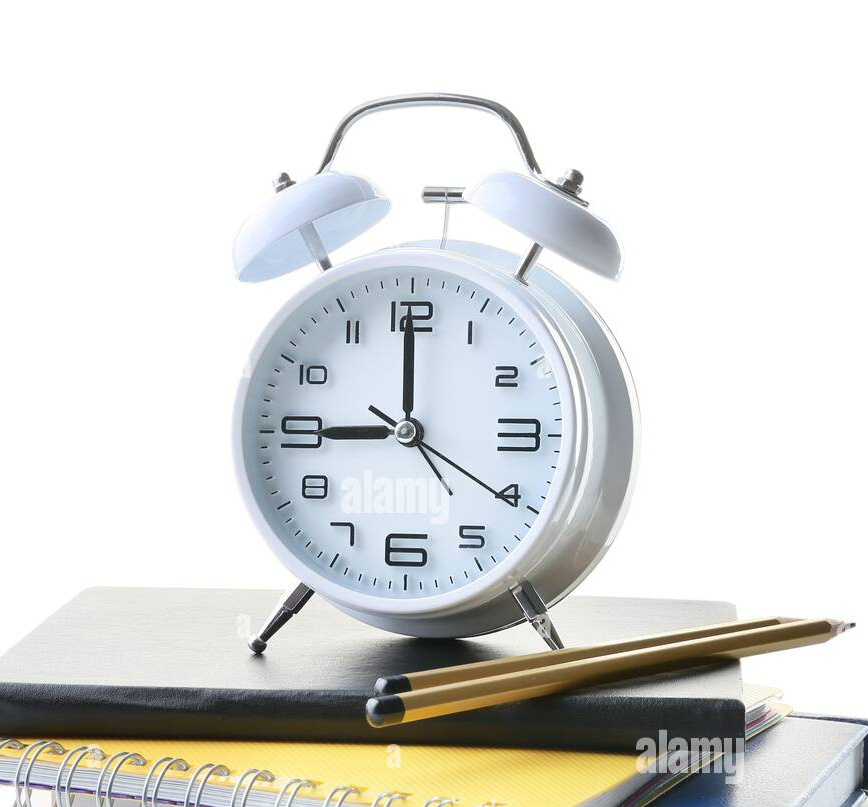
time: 8:59
